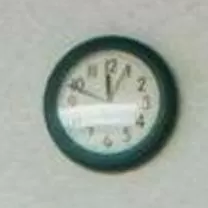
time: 11:48
